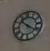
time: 10:20
